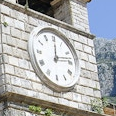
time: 12:12
